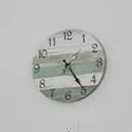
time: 1:24
